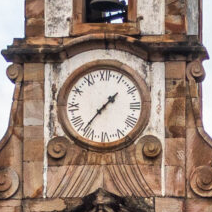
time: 1:36
